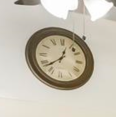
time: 12:38
